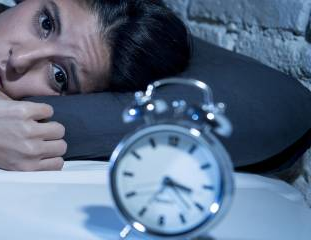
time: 3:22
